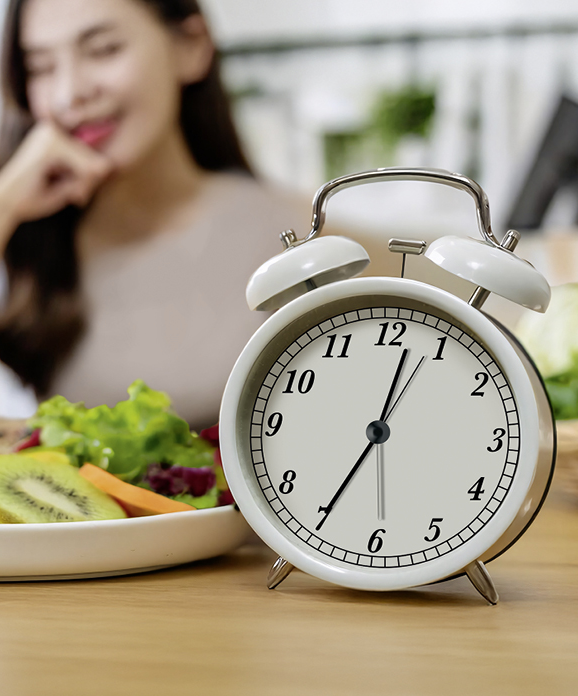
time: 12:34
